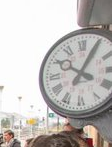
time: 4:04
